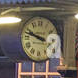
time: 9:47
